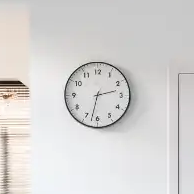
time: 2:32
